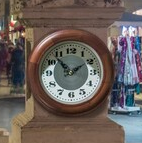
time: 1:53
